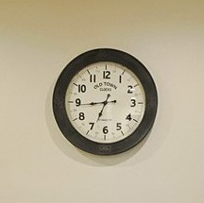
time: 6:43
